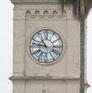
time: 10:47
